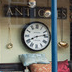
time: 8:13
